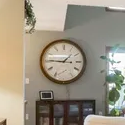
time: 1:45
